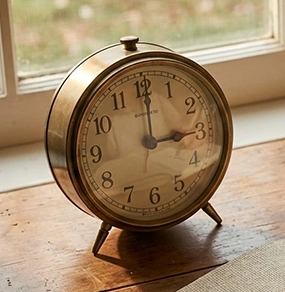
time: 3:00
